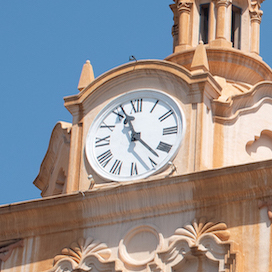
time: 11:22
